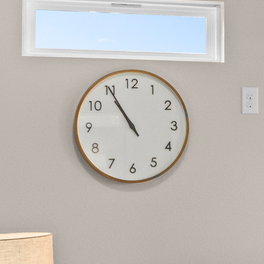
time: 10:54
